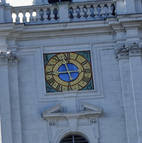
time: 11:43
